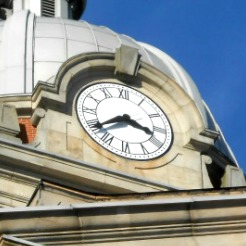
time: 3:39
